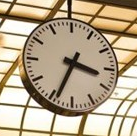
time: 3:34
